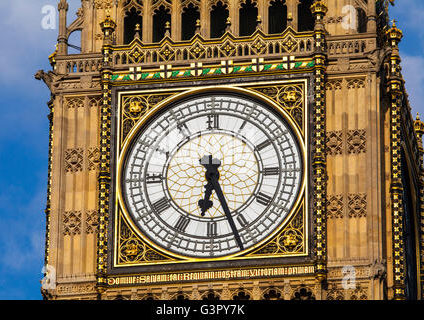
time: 6:26
